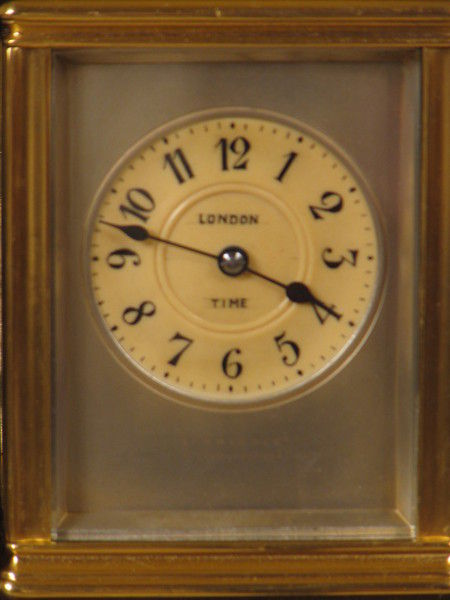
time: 3:47
